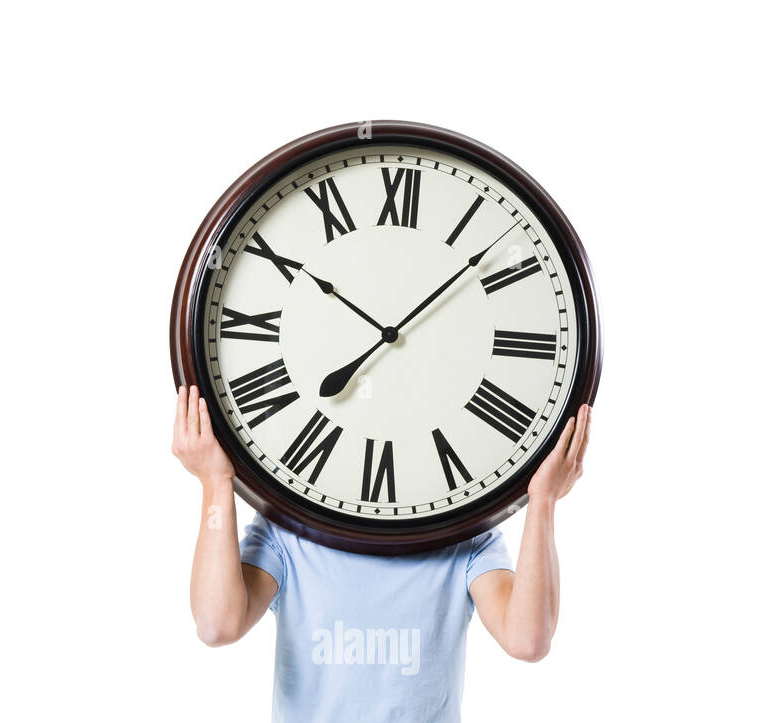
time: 10:07
